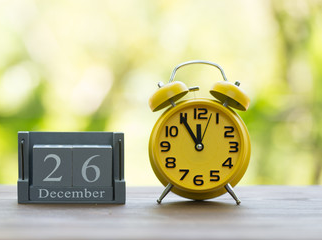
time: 11:54
